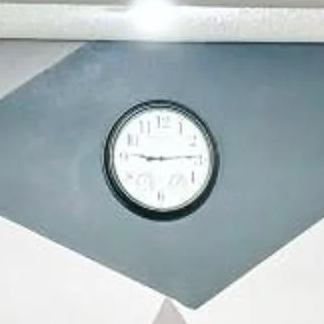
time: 9:13
